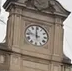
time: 11:46
